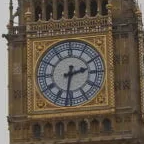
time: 2:31
